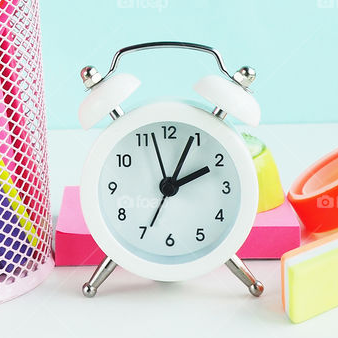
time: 2:04
